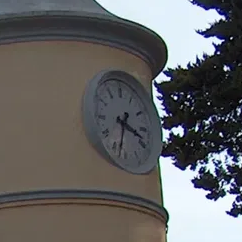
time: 3:32
